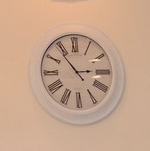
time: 2:53
